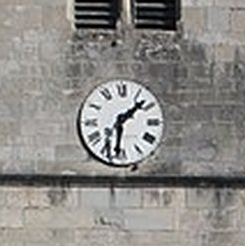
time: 1:31
